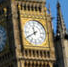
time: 11:40
